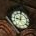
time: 9:01
